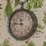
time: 11:46
